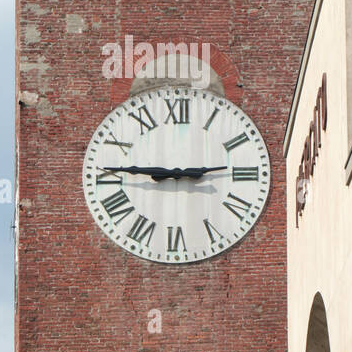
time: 2:45
